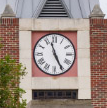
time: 11:25
